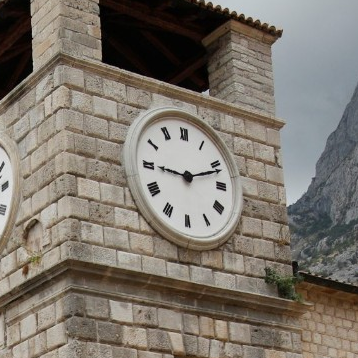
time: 9:11
